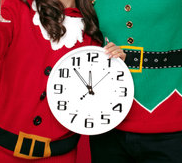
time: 11:53
